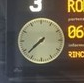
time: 7:37
